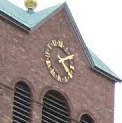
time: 2:24
